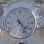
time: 4:26
